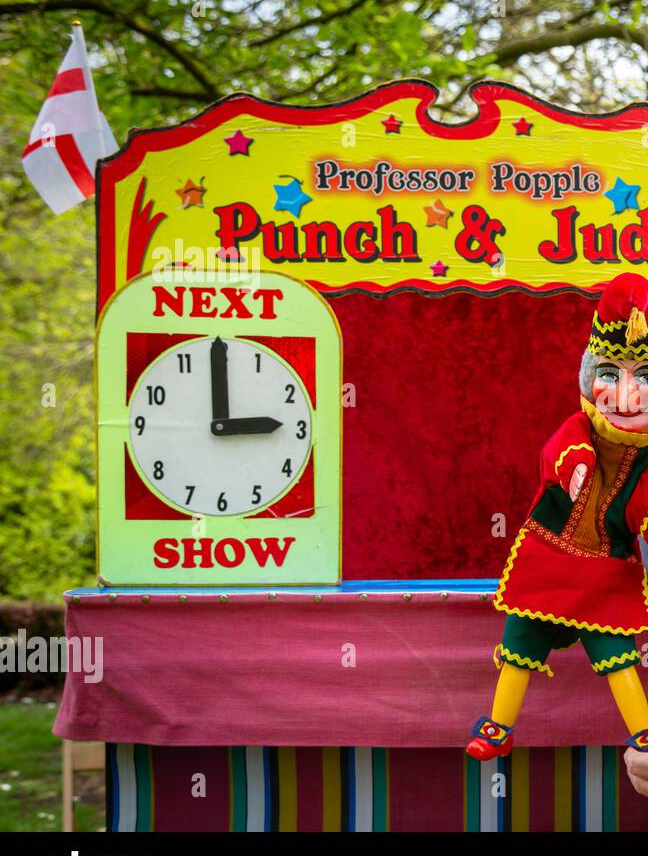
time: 2:59
